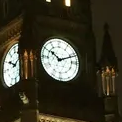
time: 10:11
